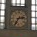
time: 2:35
